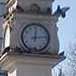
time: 12:13
